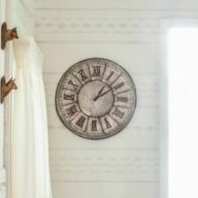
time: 1:09
